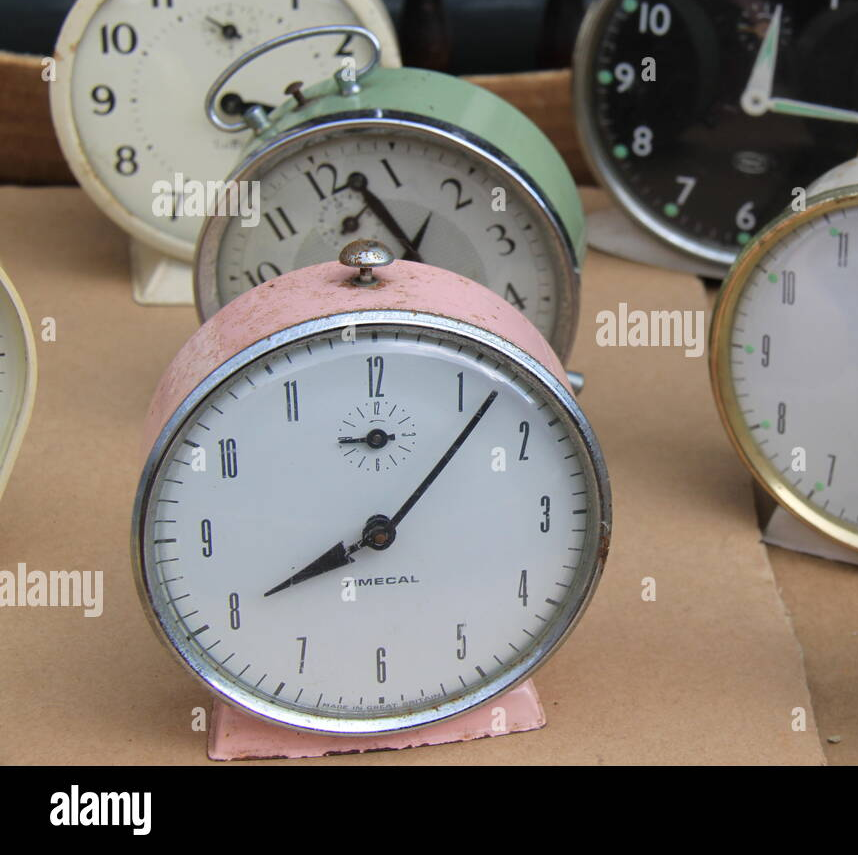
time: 8:07
